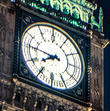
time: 7:46
